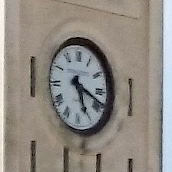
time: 5:18
